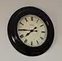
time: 7:44
